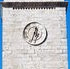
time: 12:33
